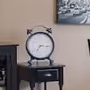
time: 7:15
